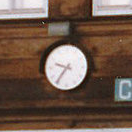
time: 9:36
